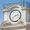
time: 2:38
